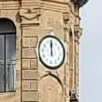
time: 11:59
